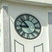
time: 8:52
